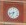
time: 6:42
